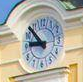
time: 8:52
